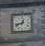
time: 12:42
